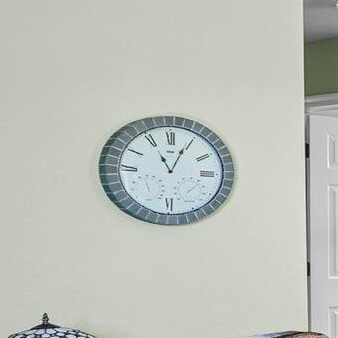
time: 11:04
